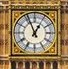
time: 12:56
